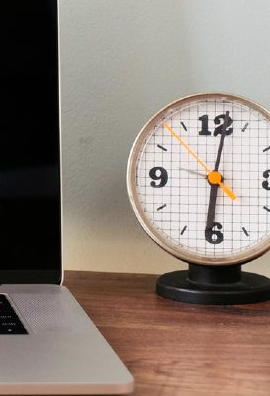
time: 6:01
